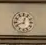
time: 12:41
